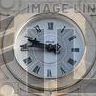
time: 9:45
